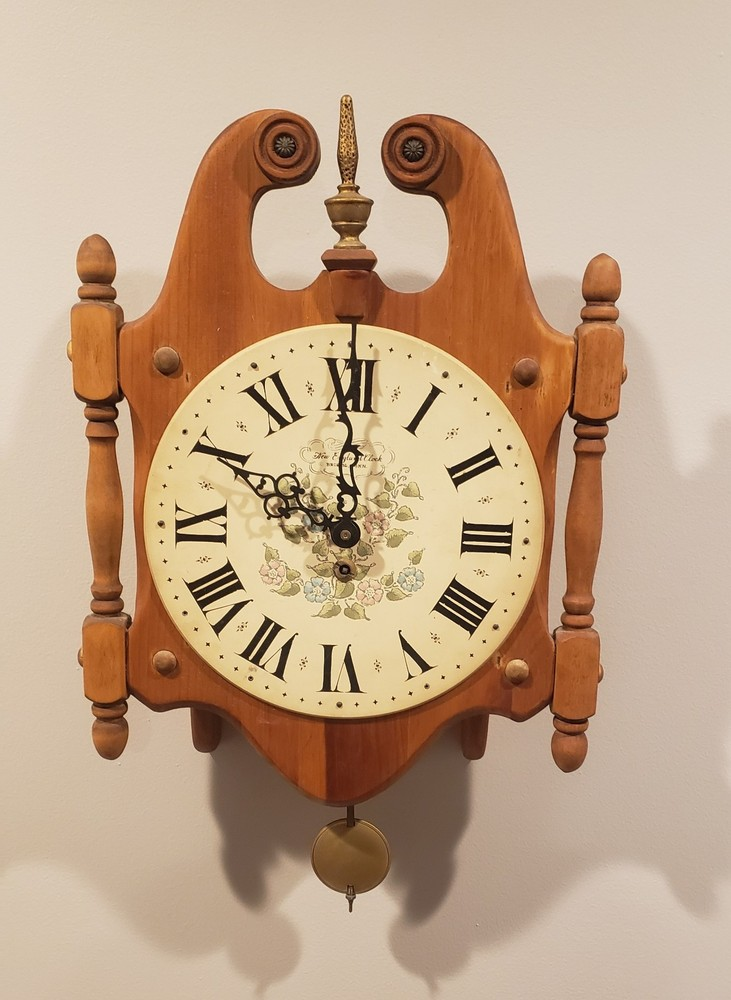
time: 9:59
